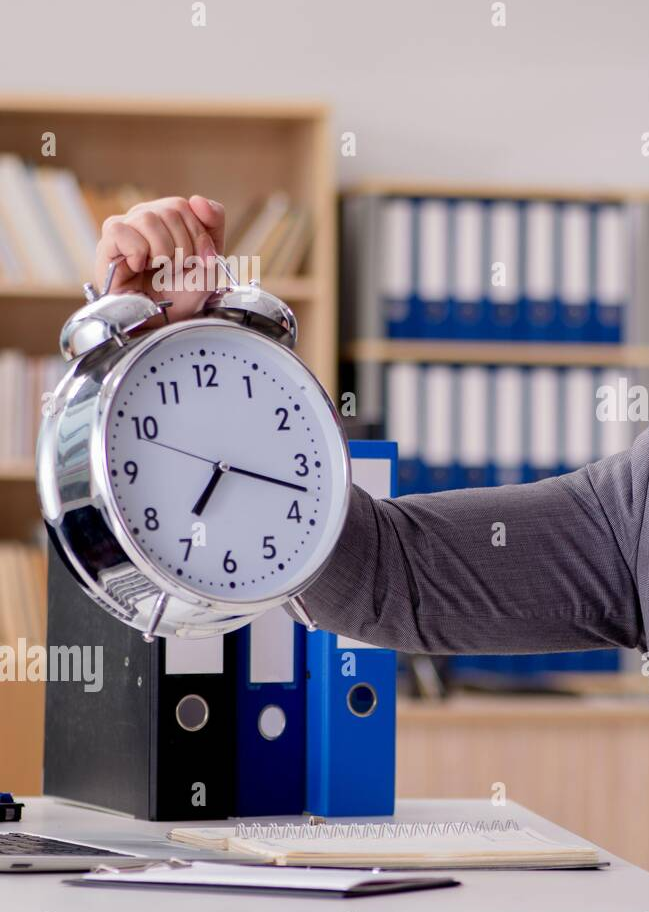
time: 7:17
